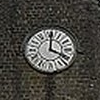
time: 4:00
